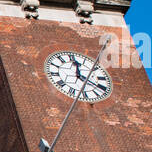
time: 12:20
